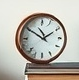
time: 1:50
